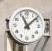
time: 11:08
